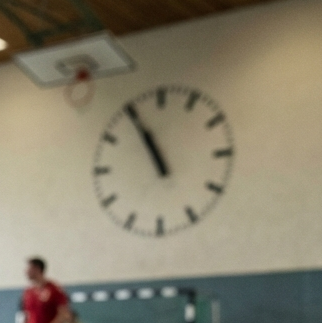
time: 10:55
